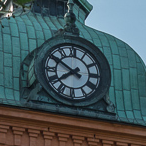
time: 7:50
